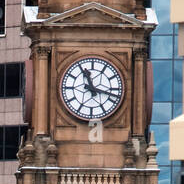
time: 11:17
